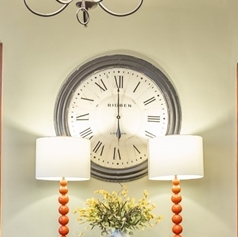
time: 5:59
